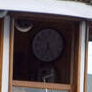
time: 6:25
